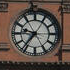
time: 9:36
